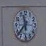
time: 11:37
